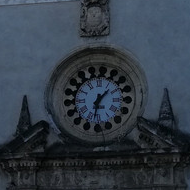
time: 1:32
